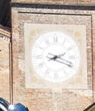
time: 2:18
